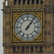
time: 1:06
